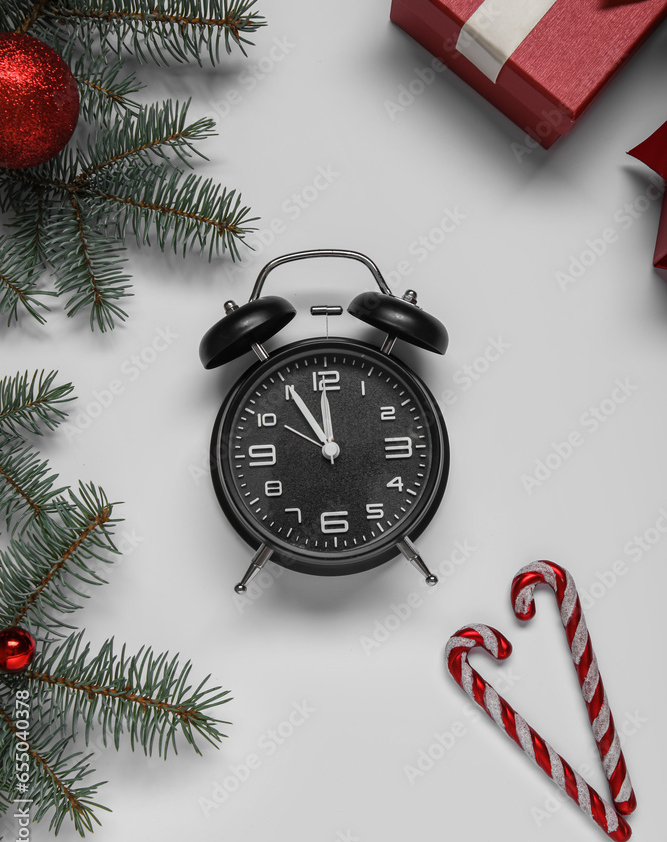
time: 11:54
